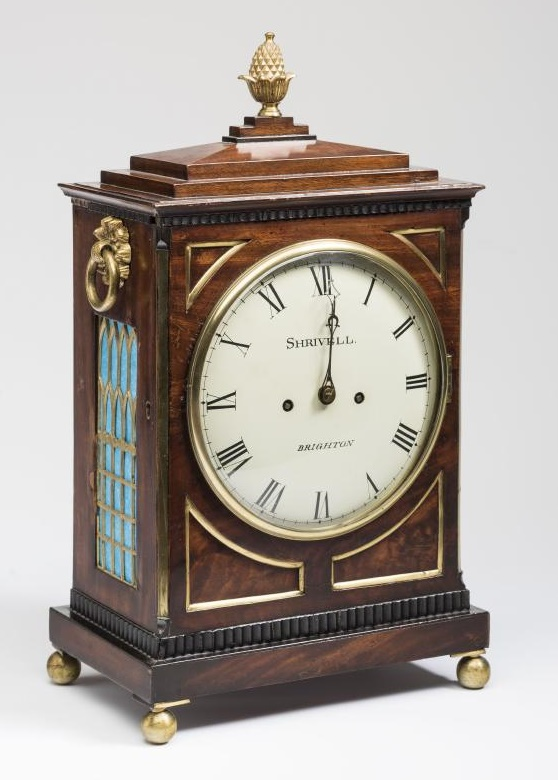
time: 9:01
